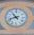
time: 10:42
